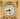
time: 8:27
